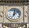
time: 12:07
